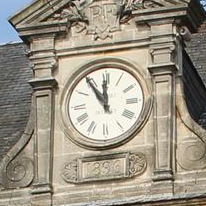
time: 11:54
